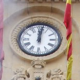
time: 12:01
